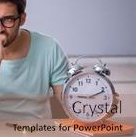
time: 9:11
